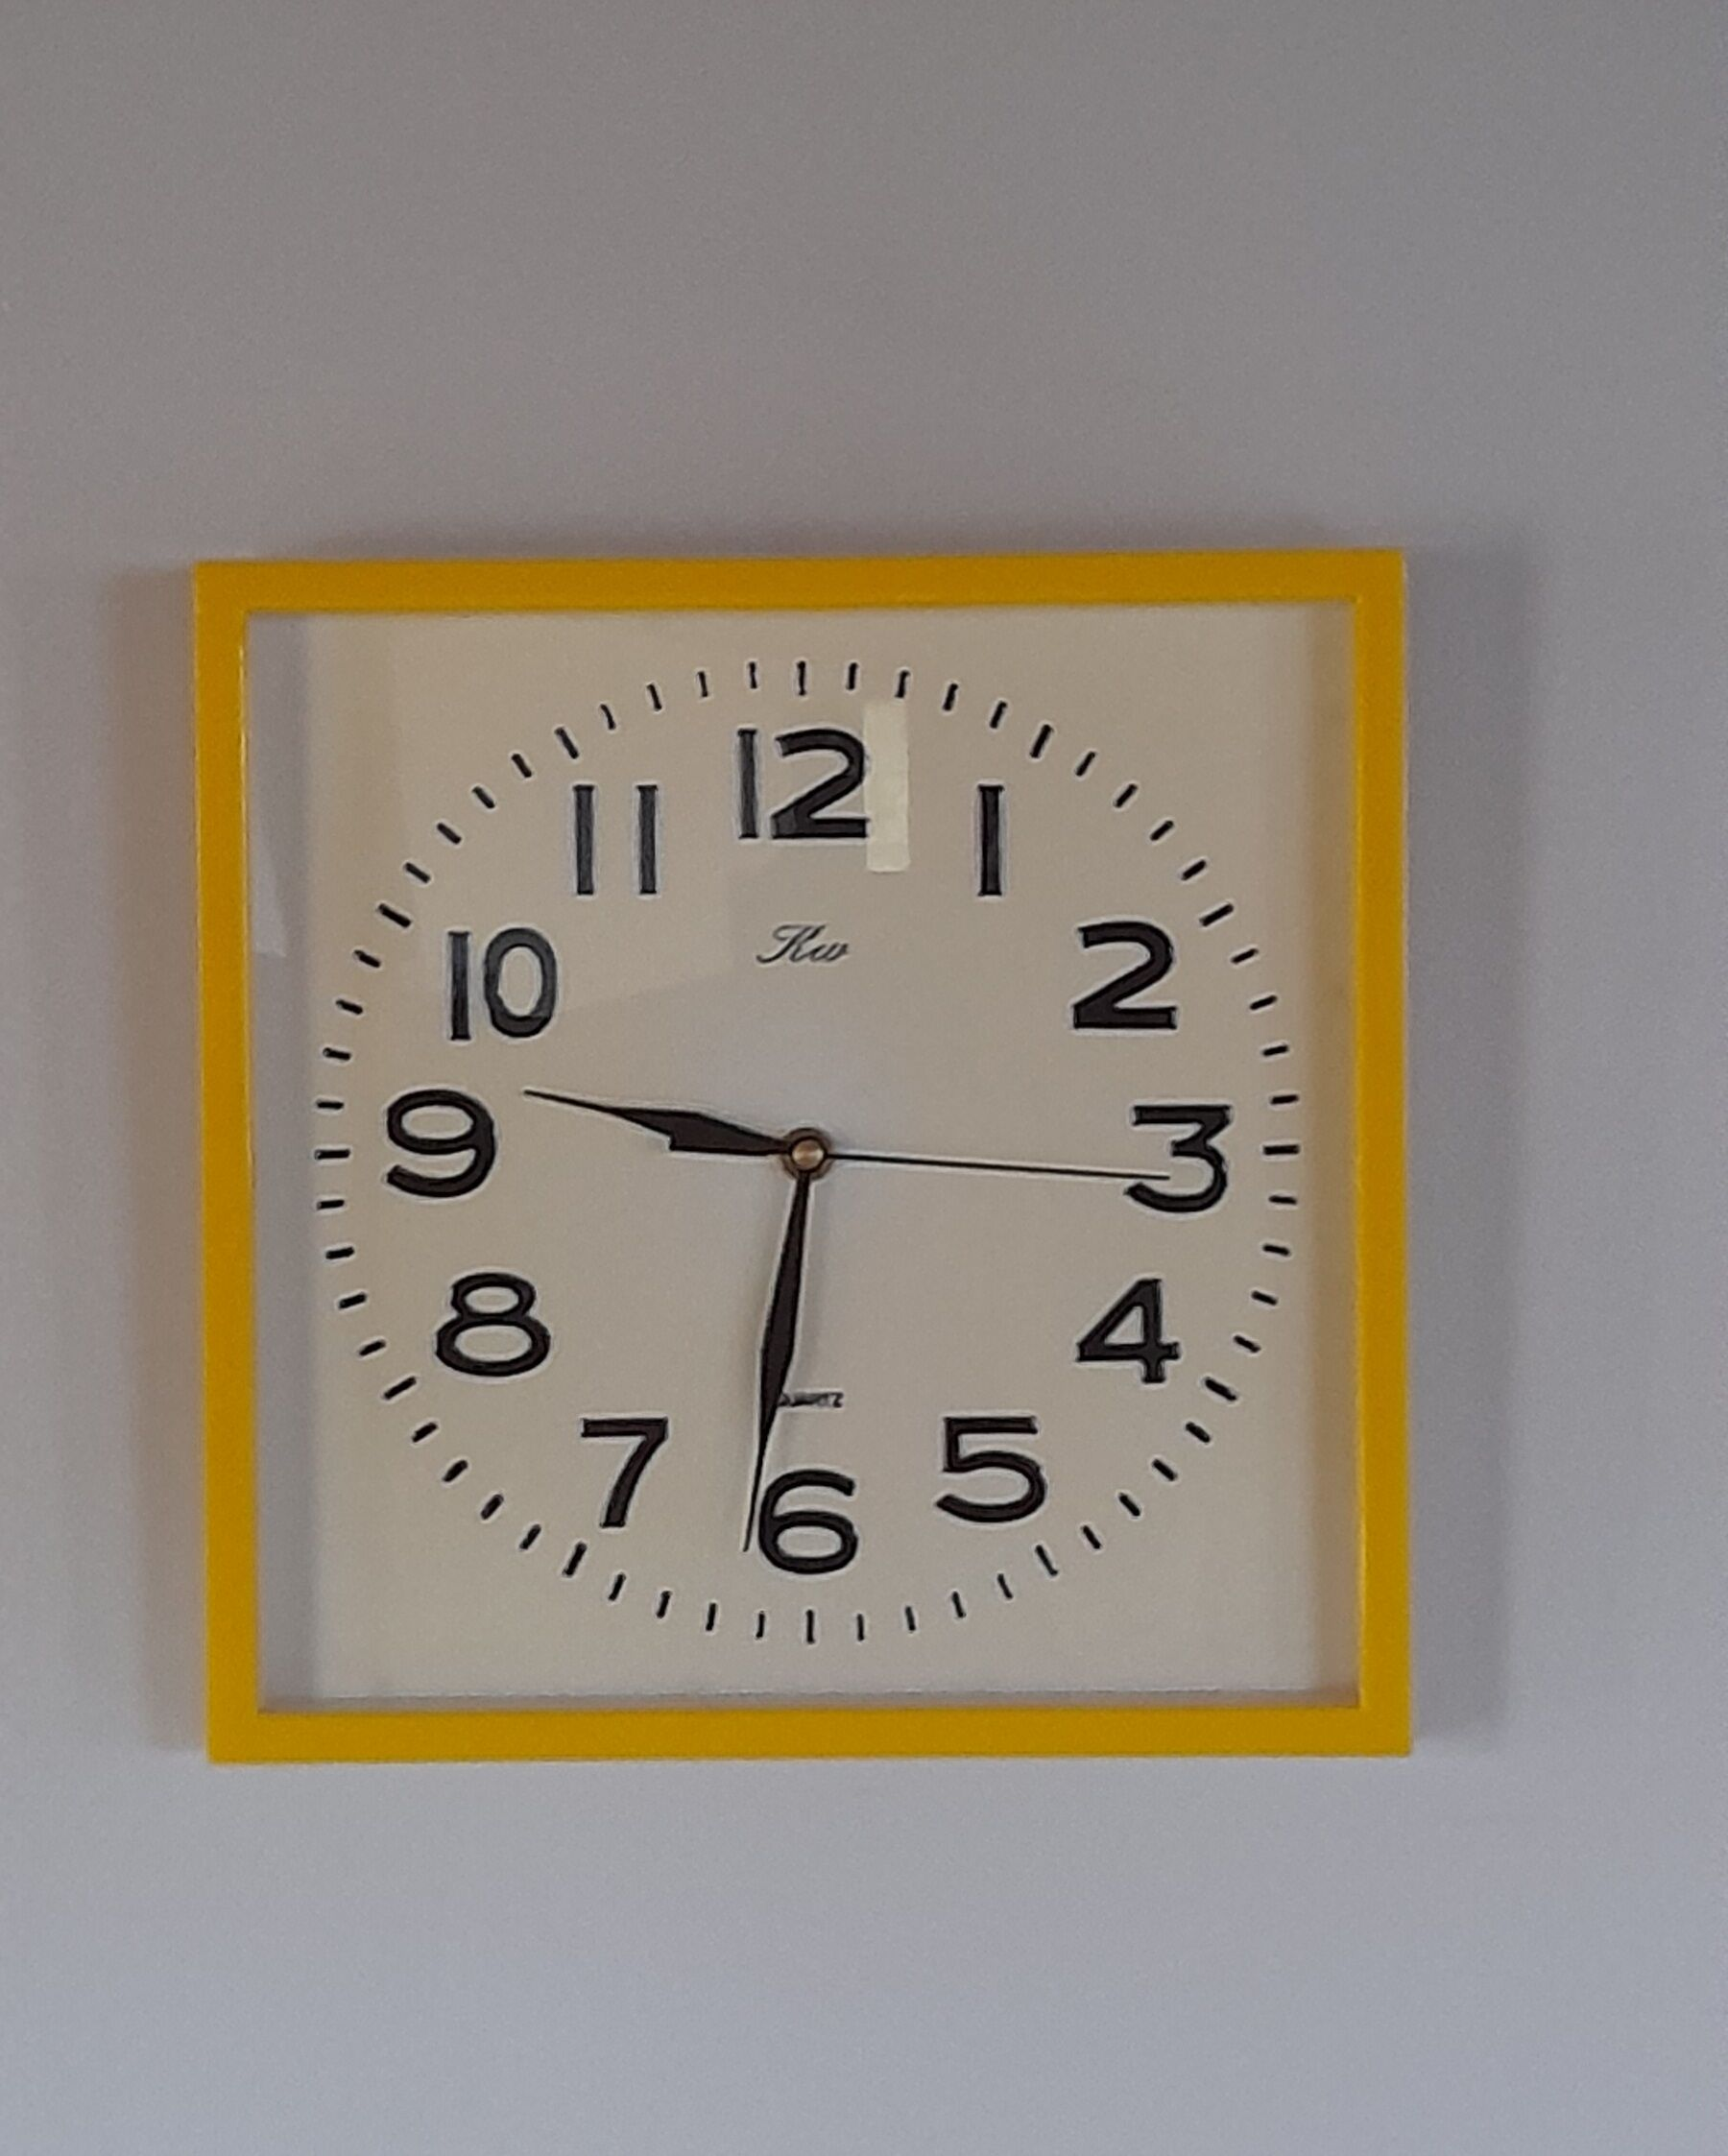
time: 9:31
